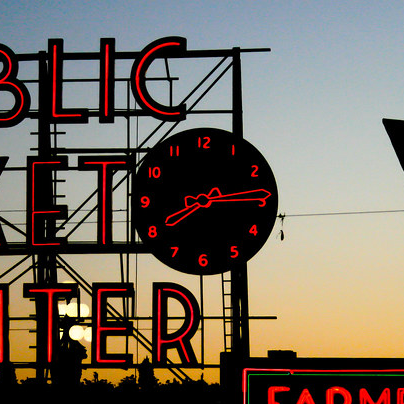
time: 8:14
